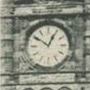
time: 12:51
